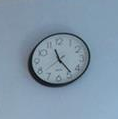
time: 11:23
